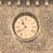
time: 10:39
